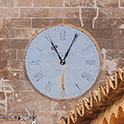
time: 11:04
